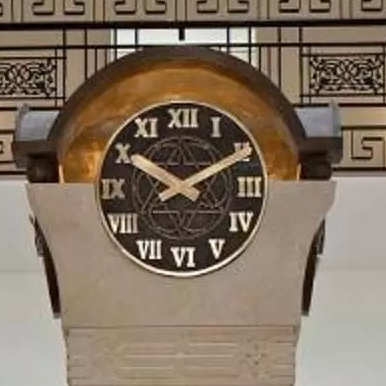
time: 10:10
